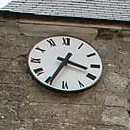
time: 3:34
